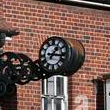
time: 1:16
